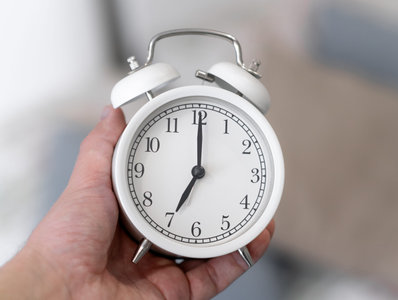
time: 7:00
